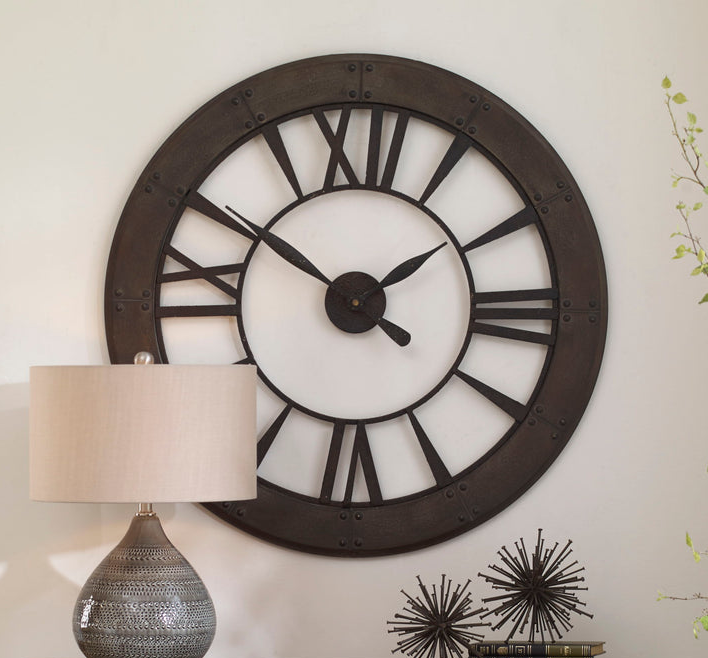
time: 1:50
